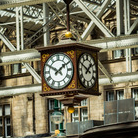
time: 1:50
